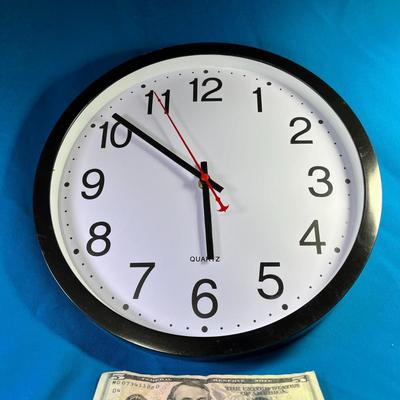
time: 5:51
